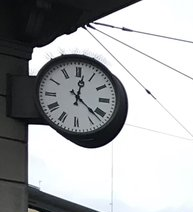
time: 12:21
